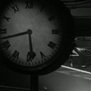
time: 5:42
